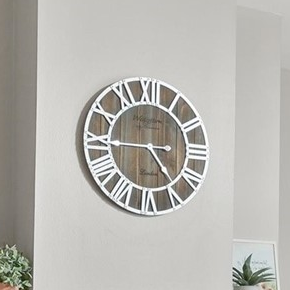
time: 4:44
